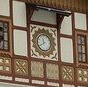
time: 11:40
